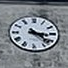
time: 3:22
